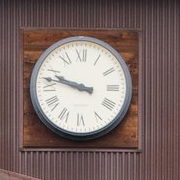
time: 9:47
